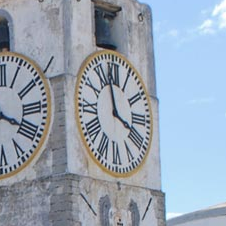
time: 3:58
